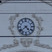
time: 4:38
